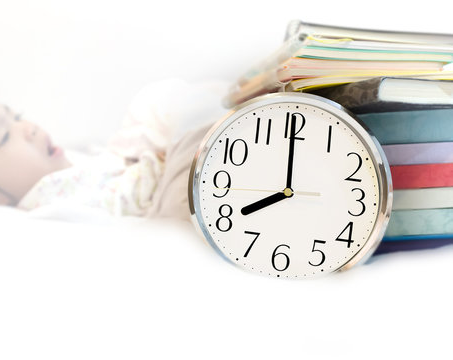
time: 7:59
